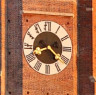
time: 8:21
